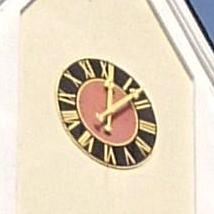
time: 12:07
